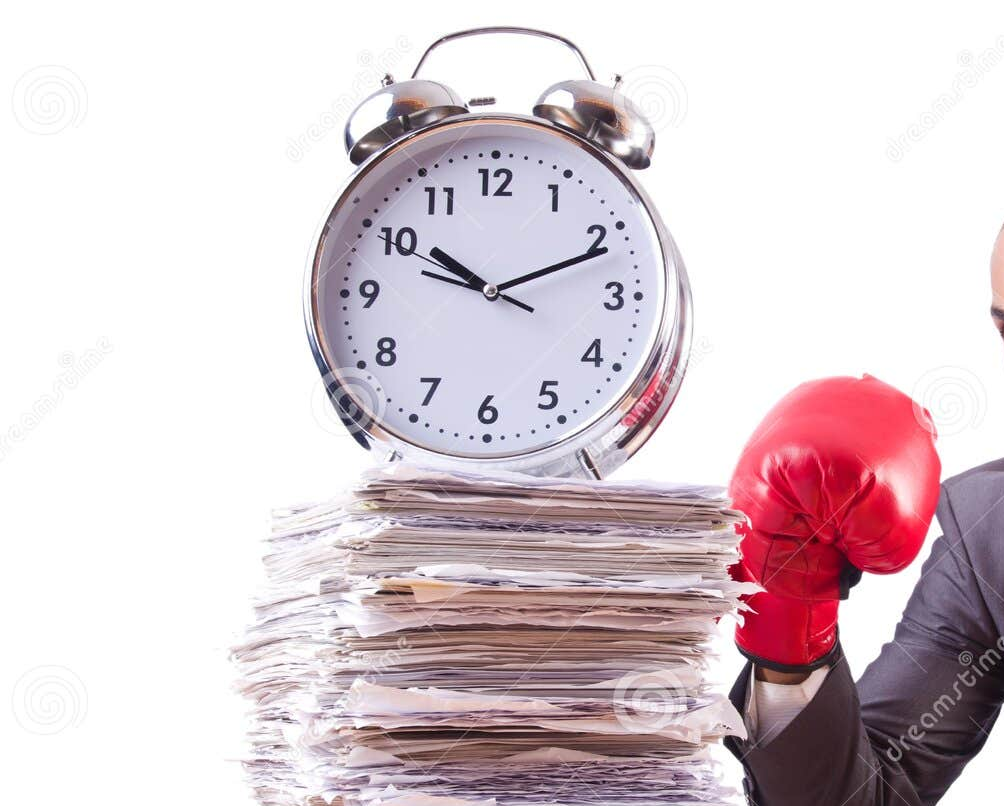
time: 10:11
